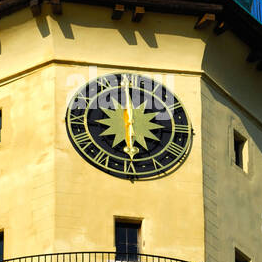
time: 5:59
